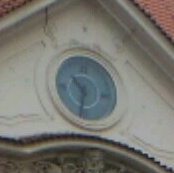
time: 10:32
